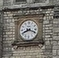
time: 8:18
